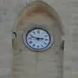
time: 2:47
